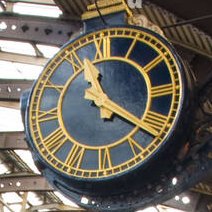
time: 11:21
